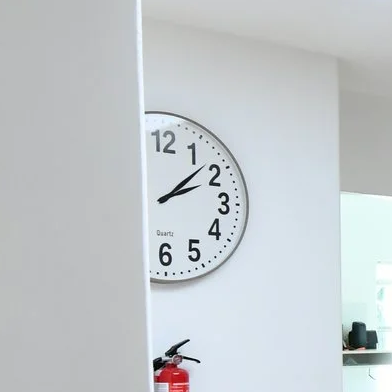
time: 2:08
